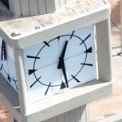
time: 12:28
